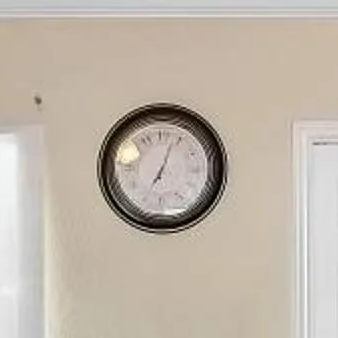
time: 7:03
